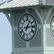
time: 1:13
